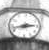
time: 2:42
